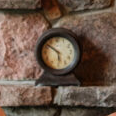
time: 5:51
